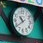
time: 10:39
